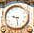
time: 9:28
